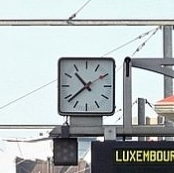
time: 10:38
